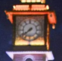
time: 7:38
